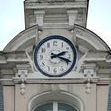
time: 2:18
